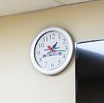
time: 1:16
